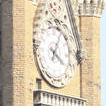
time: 4:04
